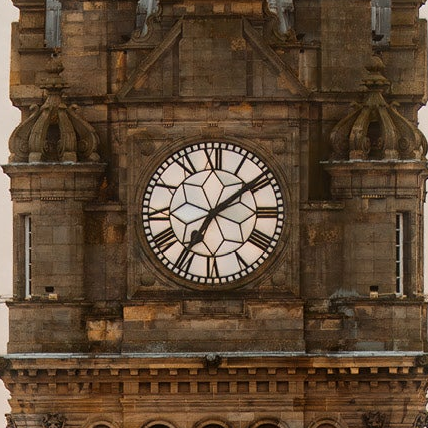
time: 7:08
